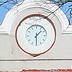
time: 1:29
